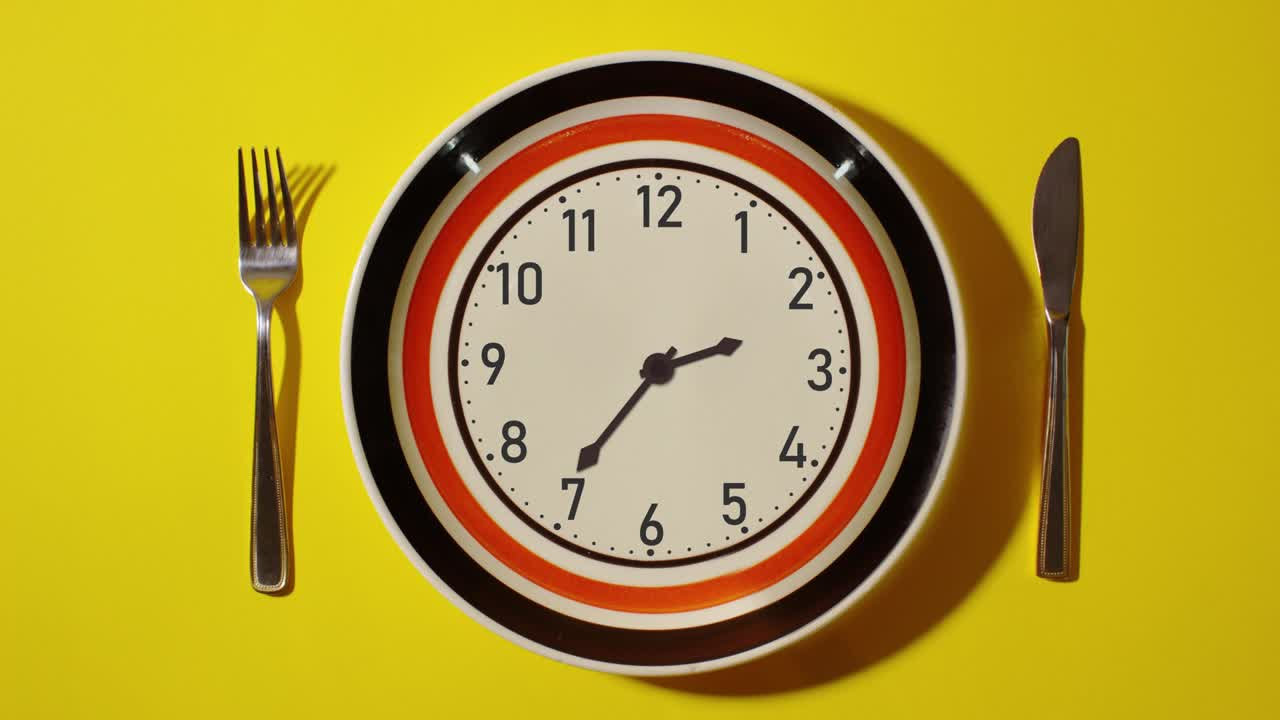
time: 2:35
